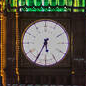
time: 5:34
